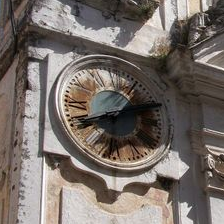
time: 8:06
